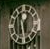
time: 1:28
